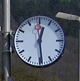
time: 12:29
